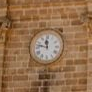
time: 11:47
